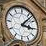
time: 3:06
